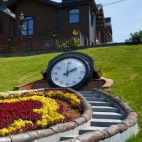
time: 2:00
